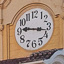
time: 9:17
